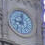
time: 9:01
